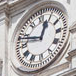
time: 12:48
